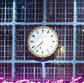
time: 6:37
